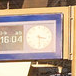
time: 3:30
